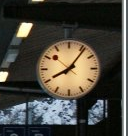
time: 8:06
